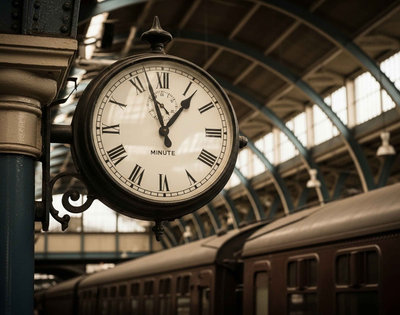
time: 12:57
